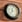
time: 11:36
